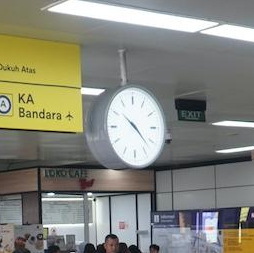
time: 10:22
